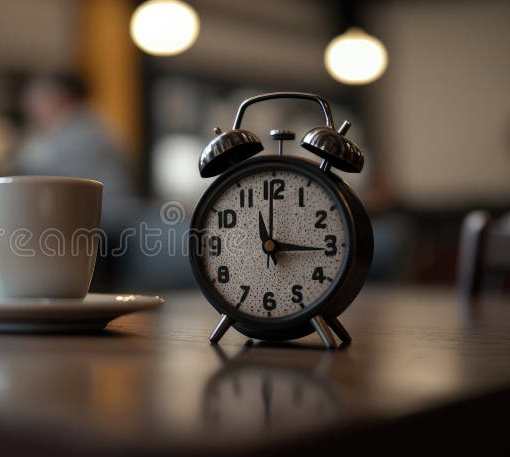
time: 11:15
